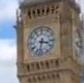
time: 3:32
